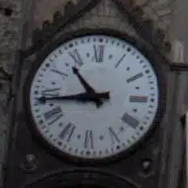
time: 10:43
